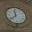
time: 11:37
